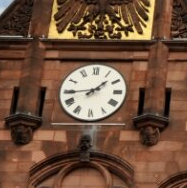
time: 1:44
